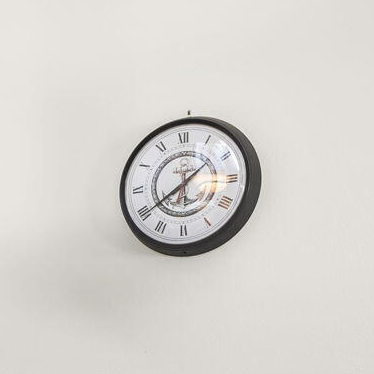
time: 1:39
